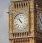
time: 10:52
